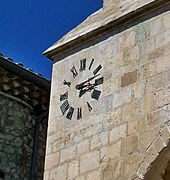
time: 3:12
